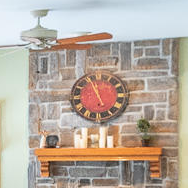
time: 4:56
